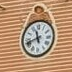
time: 11:41
